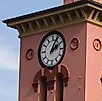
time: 2:04
